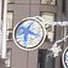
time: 6:18
